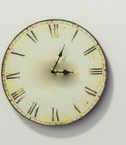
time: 3:03
